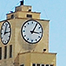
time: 3:05
